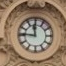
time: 11:45
